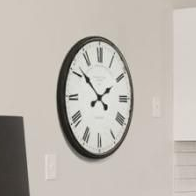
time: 1:51
